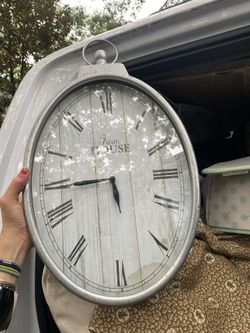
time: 5:43
